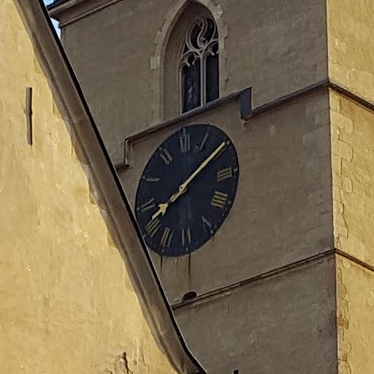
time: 8:09
